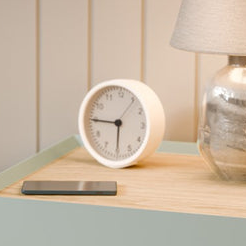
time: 5:45
